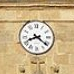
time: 8:21
